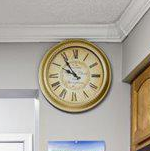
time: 9:54
